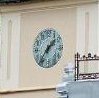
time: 1:36
